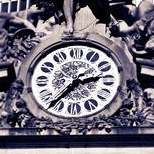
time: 2:36
